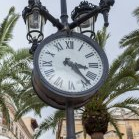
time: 3:22
